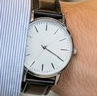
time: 3:19
